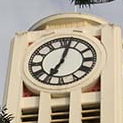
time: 7:02
